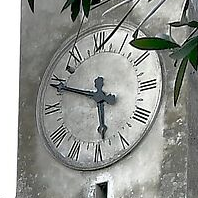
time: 5:49
